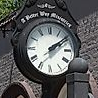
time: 2:09
